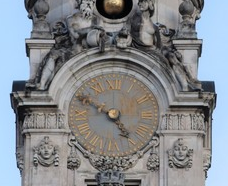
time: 4:49
